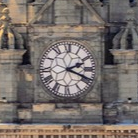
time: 2:18
